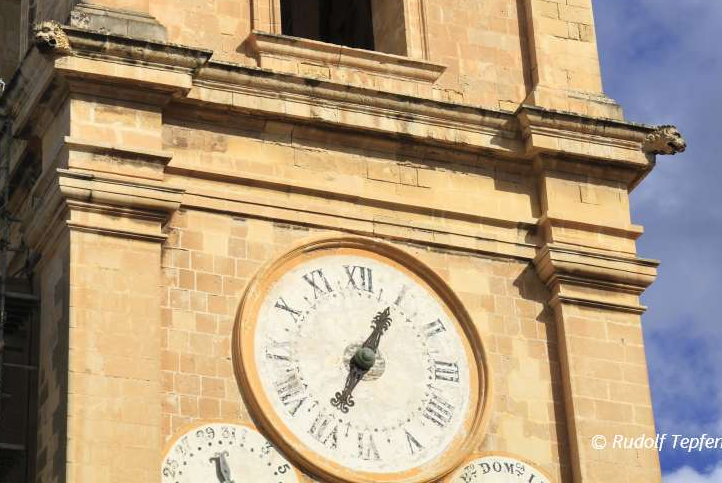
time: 7:04
